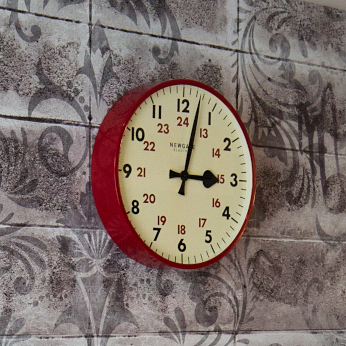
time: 3:02
